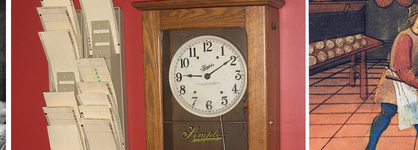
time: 9:09
